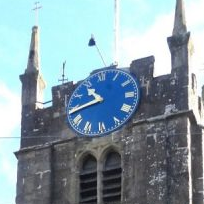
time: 10:43
